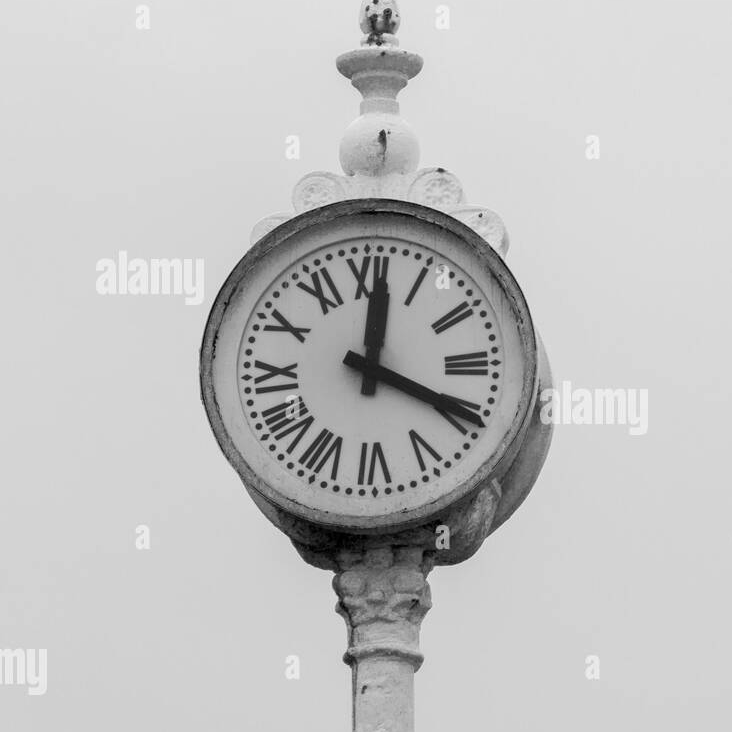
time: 12:19
